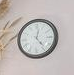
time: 12:23
